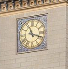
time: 11:18
